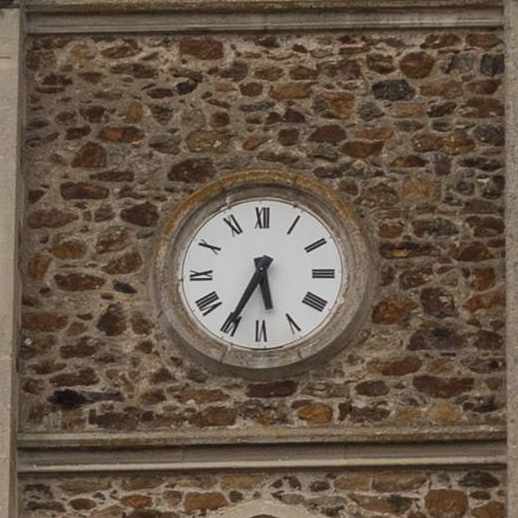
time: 5:34
